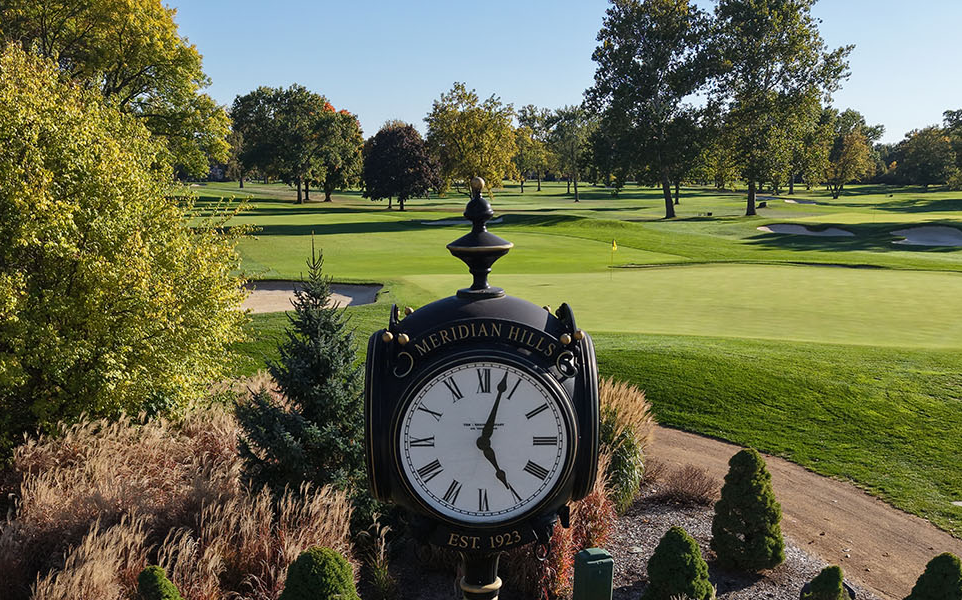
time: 5:03
